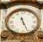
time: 11:26
